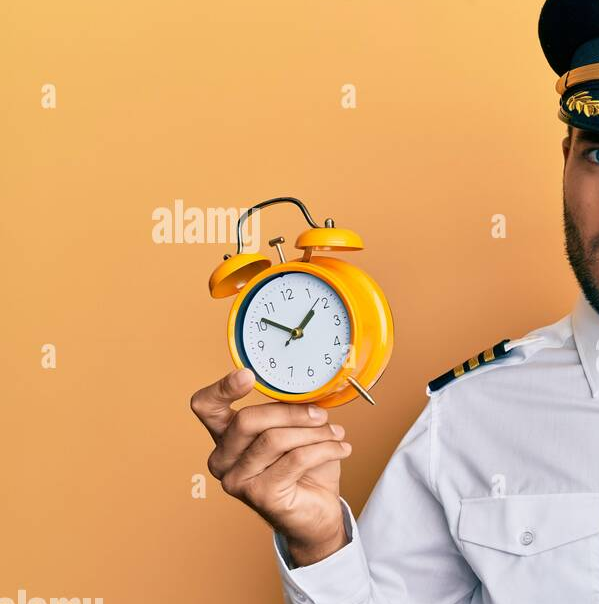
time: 1:51
